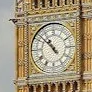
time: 10:52
